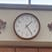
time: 1:24
